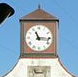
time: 11:16
